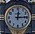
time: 12:14
